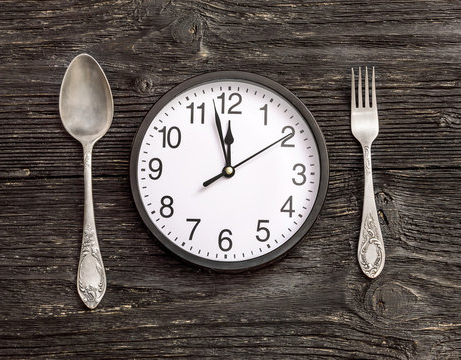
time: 11:57
